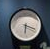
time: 6:18
